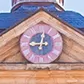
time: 9:01
